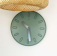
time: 10:28
